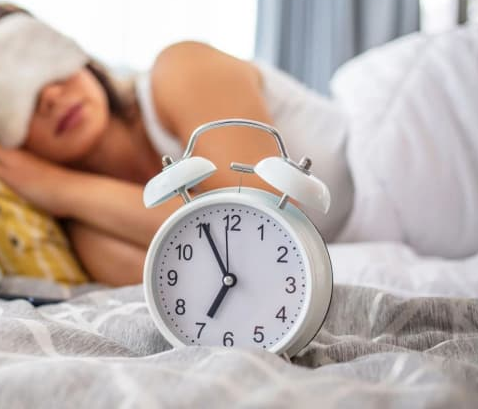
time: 6:55
